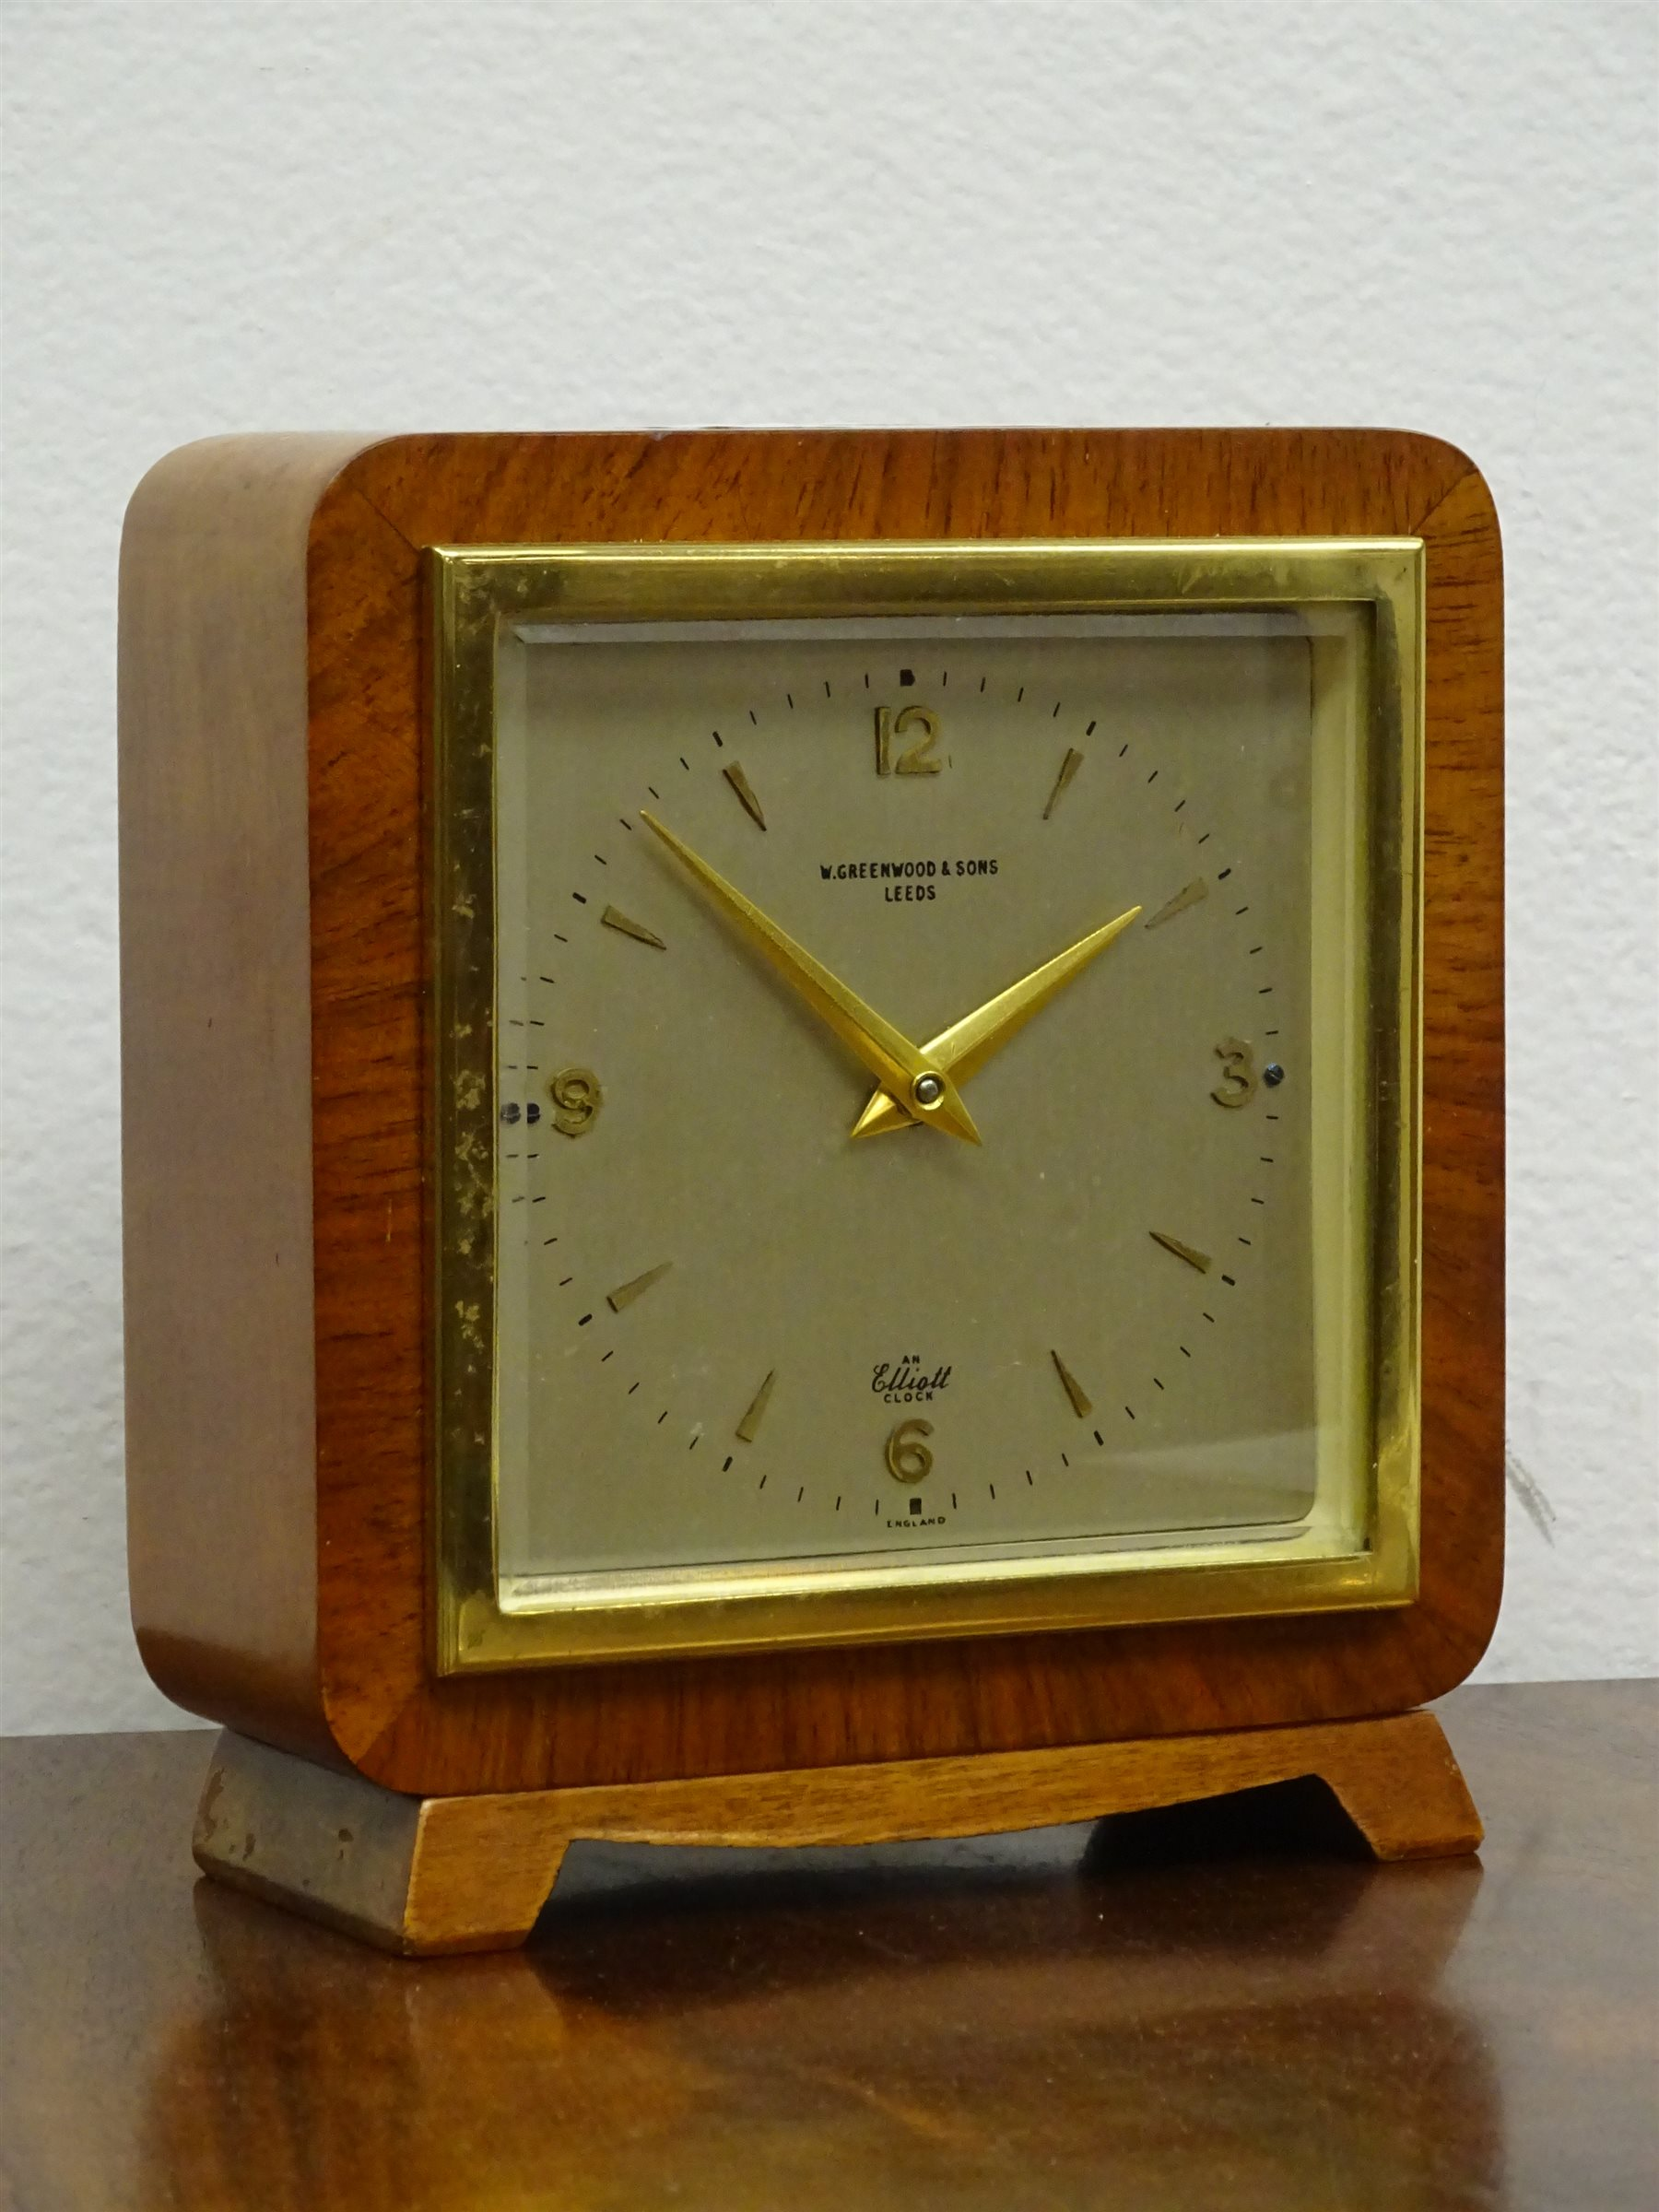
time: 1:52
